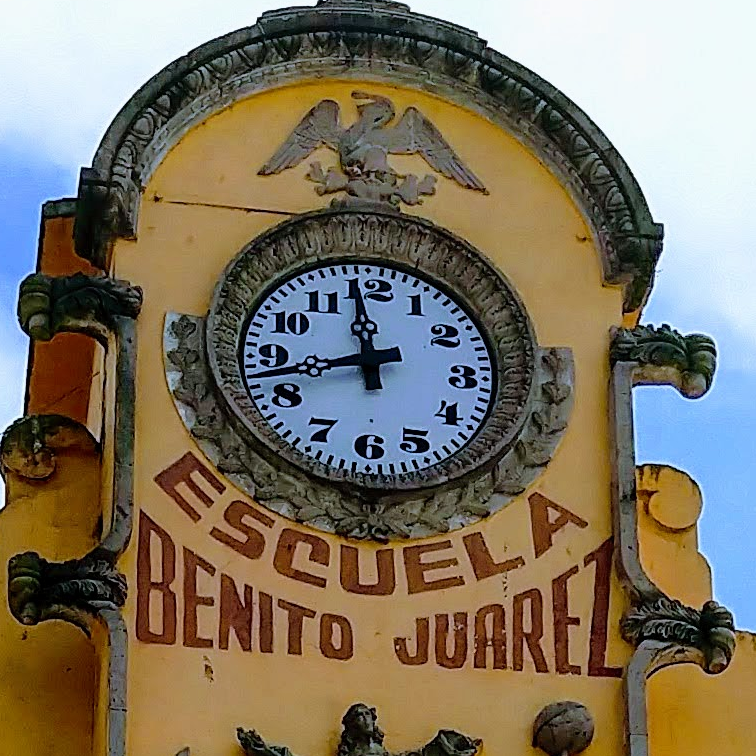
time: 11:42
